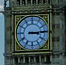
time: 3:14
